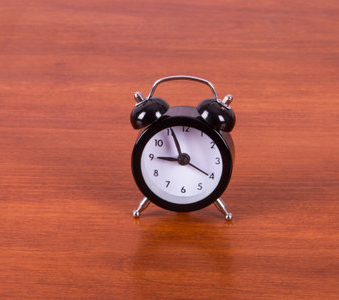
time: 8:56
